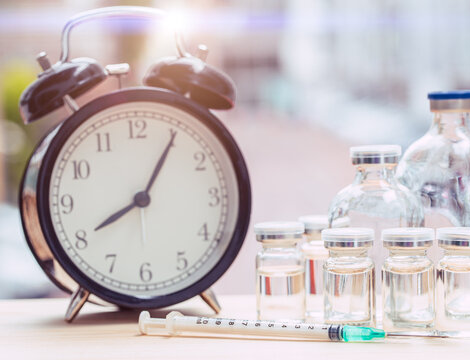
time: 8:05
